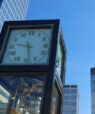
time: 9:28
